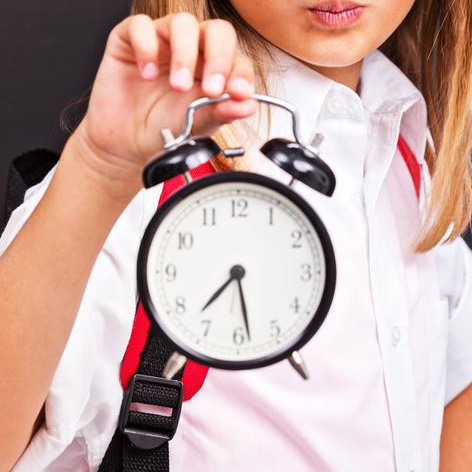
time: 7:28
